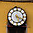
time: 5:18
